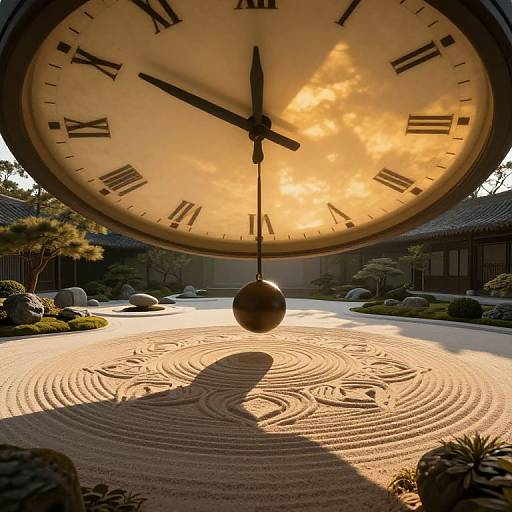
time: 11:50
